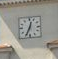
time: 12:34
